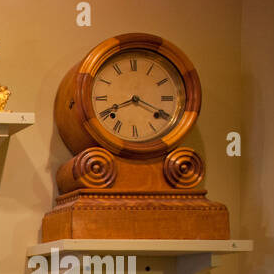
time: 3:40
